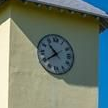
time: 10:39
